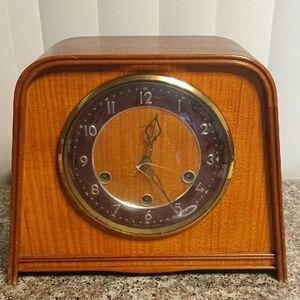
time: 12:26
